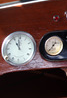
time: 10:58
